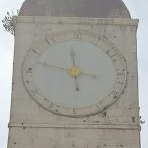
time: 11:47
